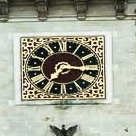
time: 7:15
